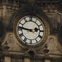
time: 2:46
